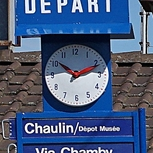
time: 10:11
